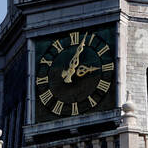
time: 3:03
